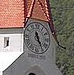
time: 11:25
